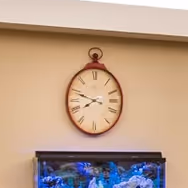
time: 7:48
